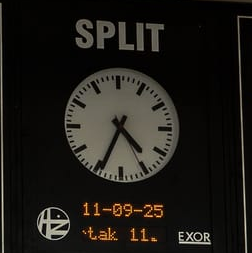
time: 4:34
